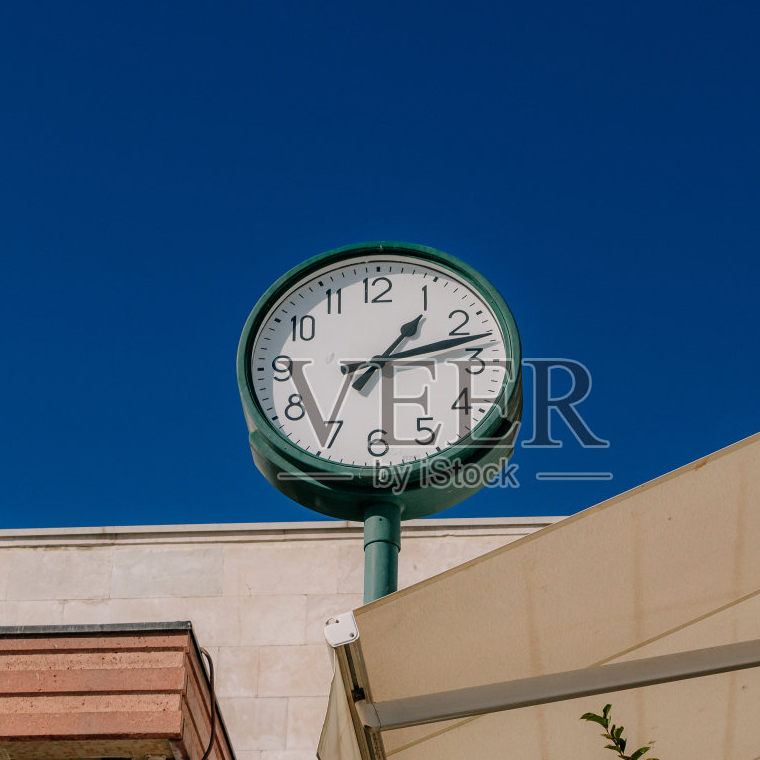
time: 1:12
